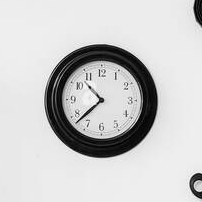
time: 10:37
